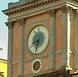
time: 8:32
